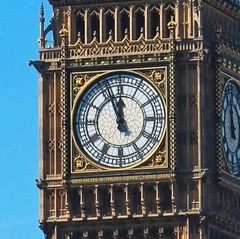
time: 11:56
